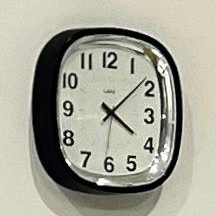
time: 4:08
